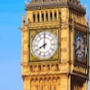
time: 7:59
